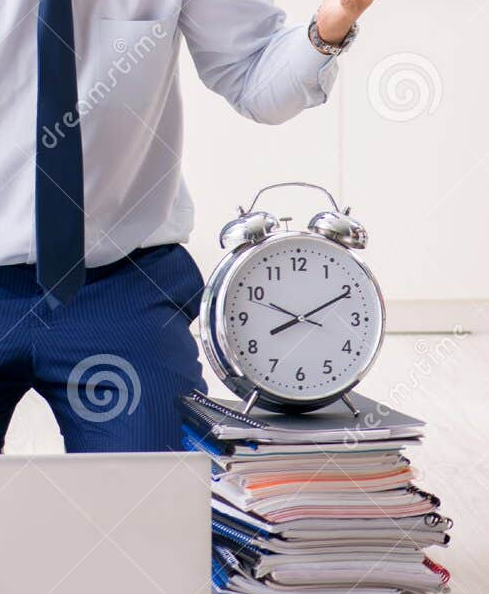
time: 8:10
